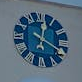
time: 12:19
